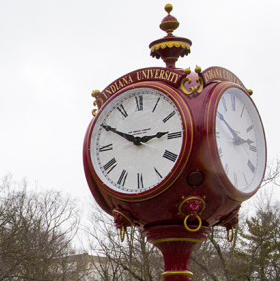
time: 2:49
